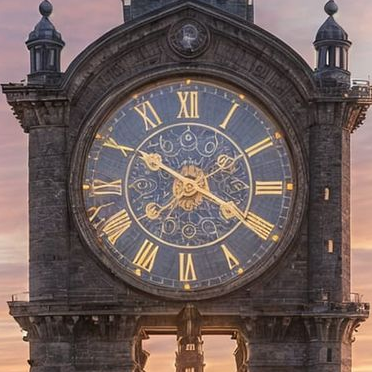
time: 3:50
